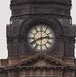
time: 2:41
